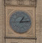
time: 1:13
